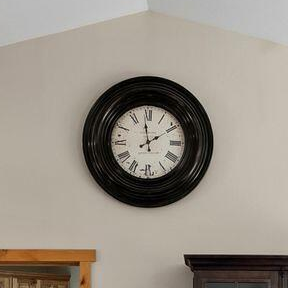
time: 1:58
